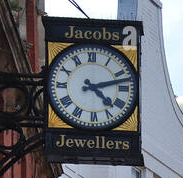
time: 4:12
